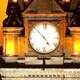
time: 4:52
